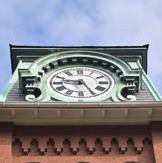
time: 9:25
